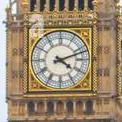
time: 4:11
